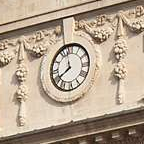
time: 7:58
